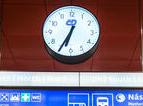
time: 6:34
